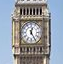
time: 12:25
